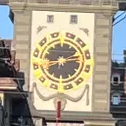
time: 2:40
